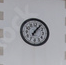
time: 7:06
